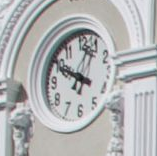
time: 10:03
